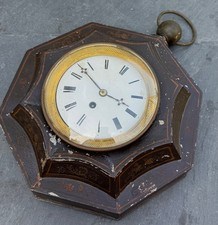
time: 3:52
